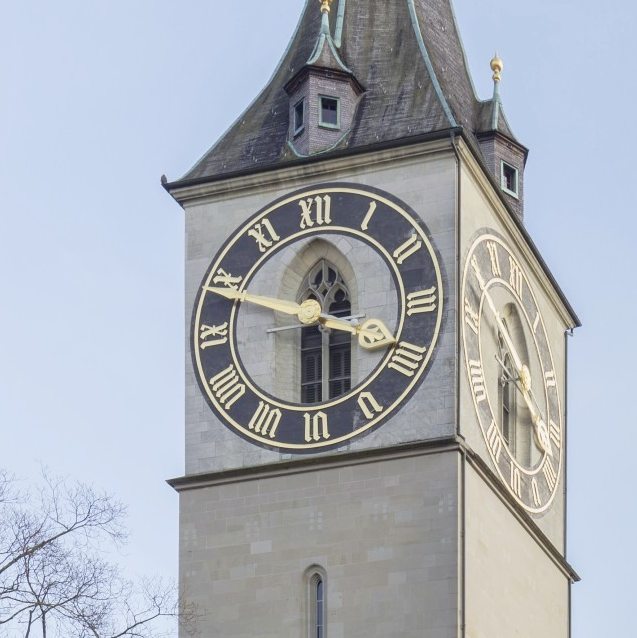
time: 12:29
